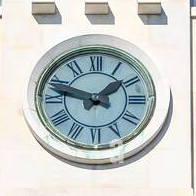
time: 1:47
